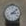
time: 3:08
